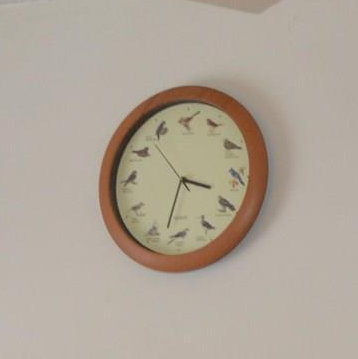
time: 3:32
